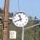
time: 11:41
